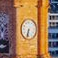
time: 6:32
